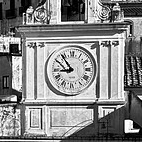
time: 8:53
